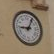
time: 9:05
